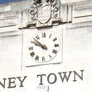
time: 9:52
